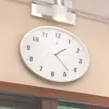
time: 1:22
